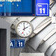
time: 1:59
